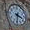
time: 3:31
